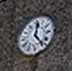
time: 12:23
